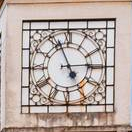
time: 2:56
